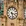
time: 3:28
